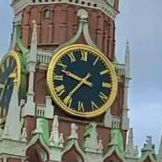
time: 9:36
